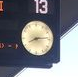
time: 8:14
